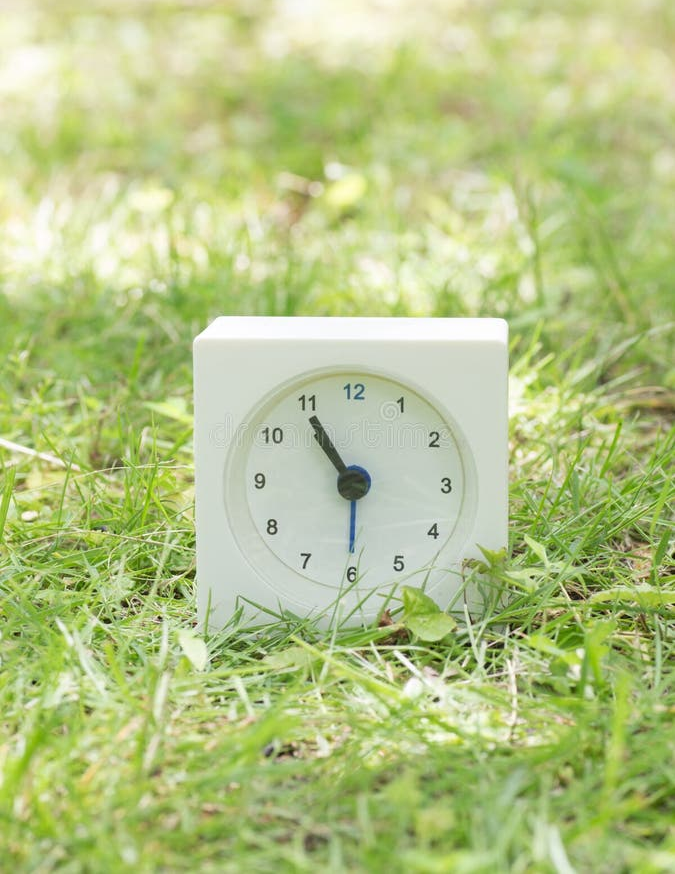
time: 10:54
